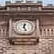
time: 12:26
